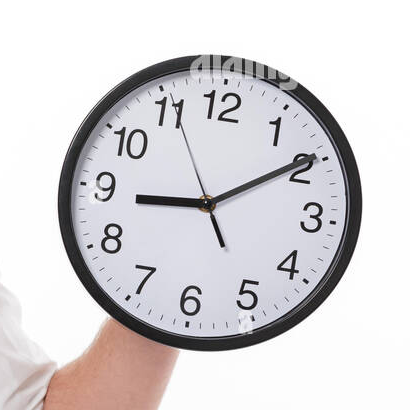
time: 9:09
